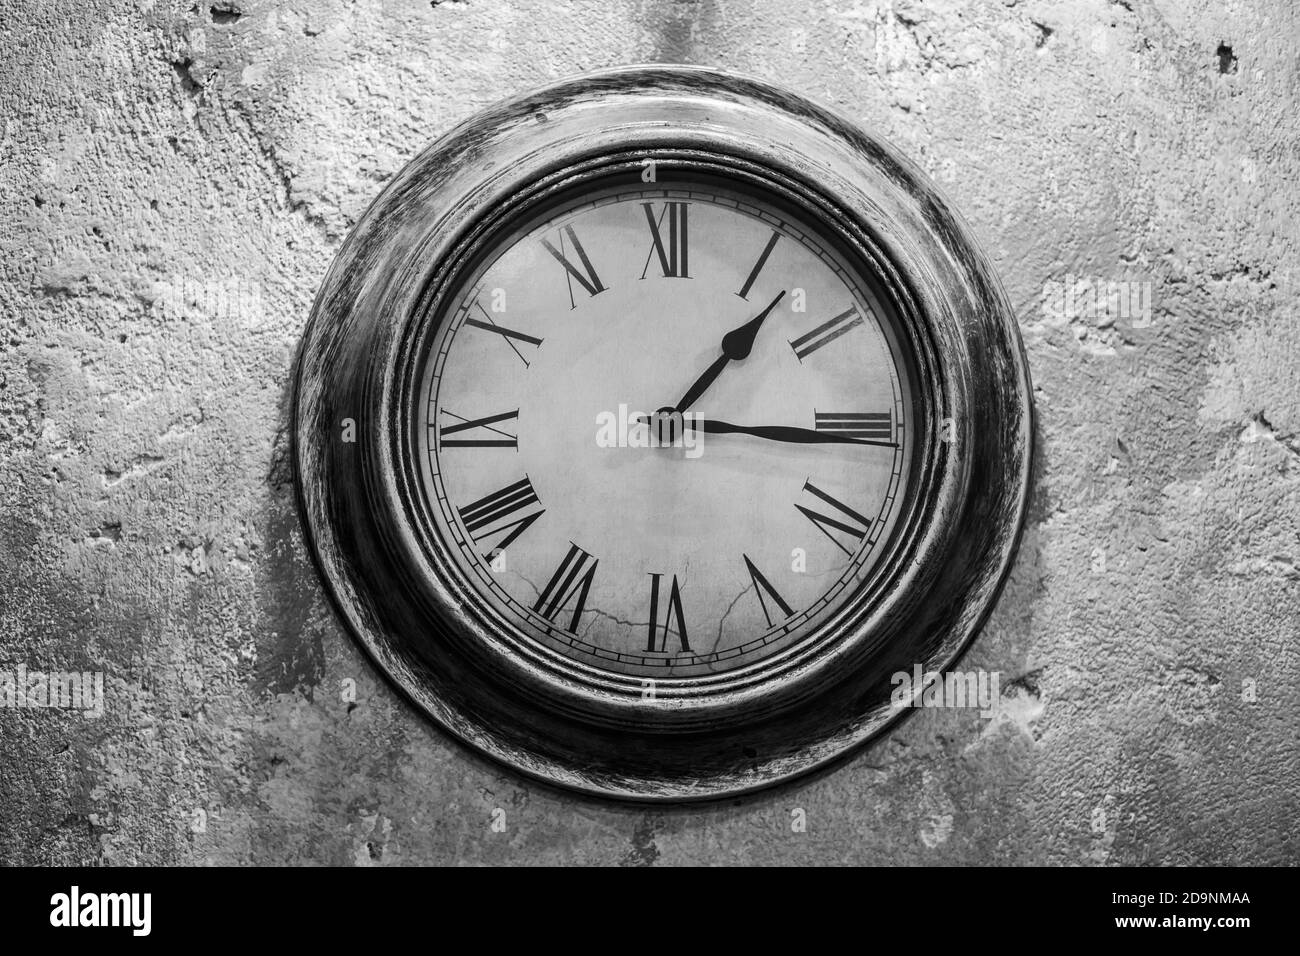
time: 1:15
